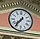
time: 7:36
